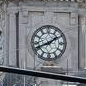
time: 1:41
